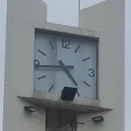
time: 4:44
